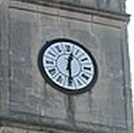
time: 12:29
